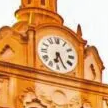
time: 6:25
